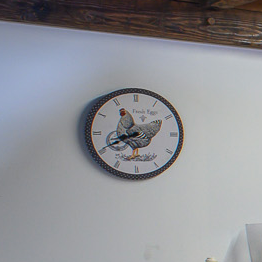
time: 8:40
